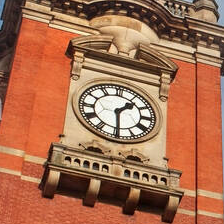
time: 1:29
